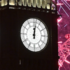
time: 12:01
